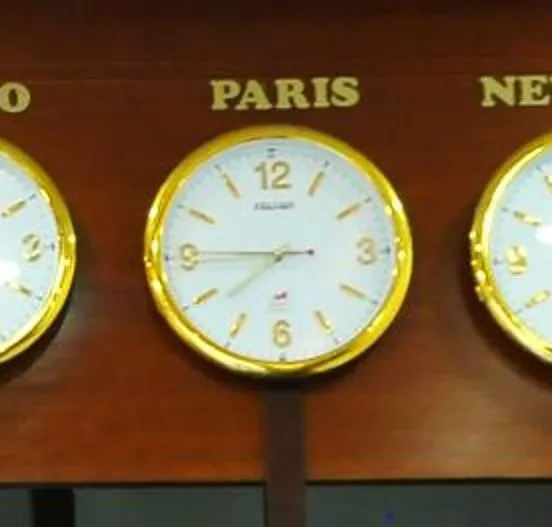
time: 7:45
